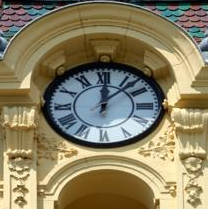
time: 12:07
